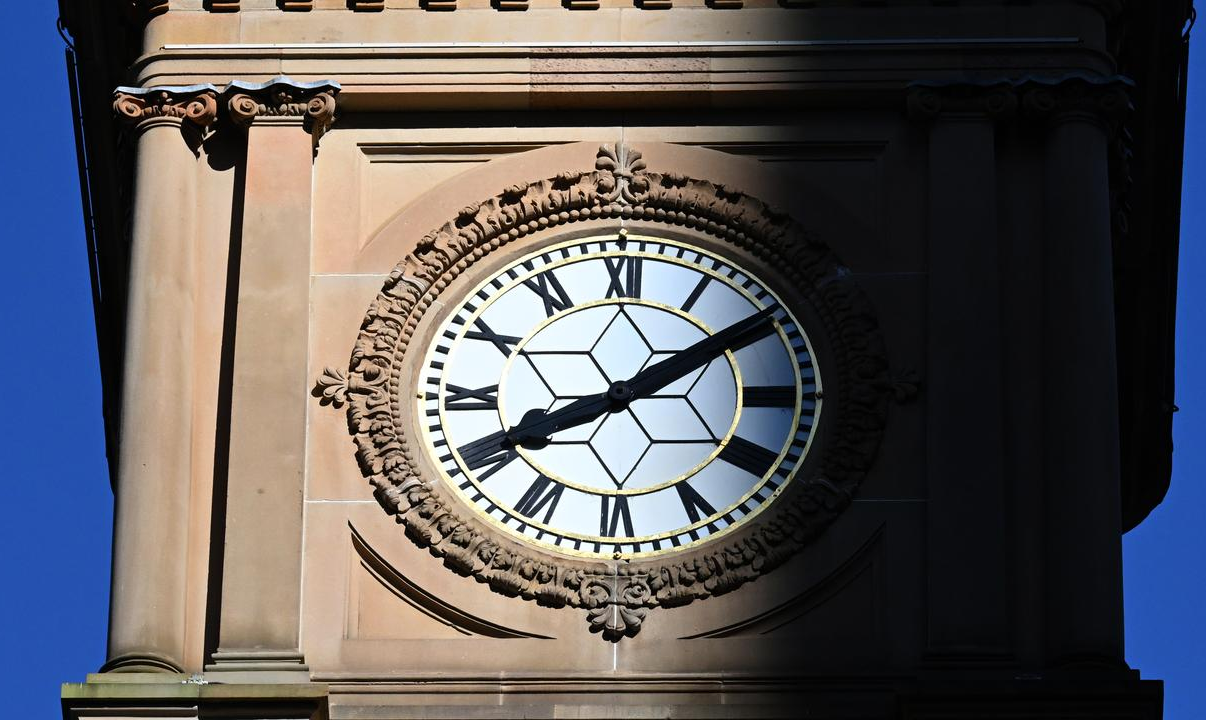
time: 8:09
